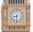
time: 8:31
